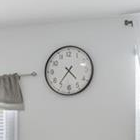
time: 4:36
